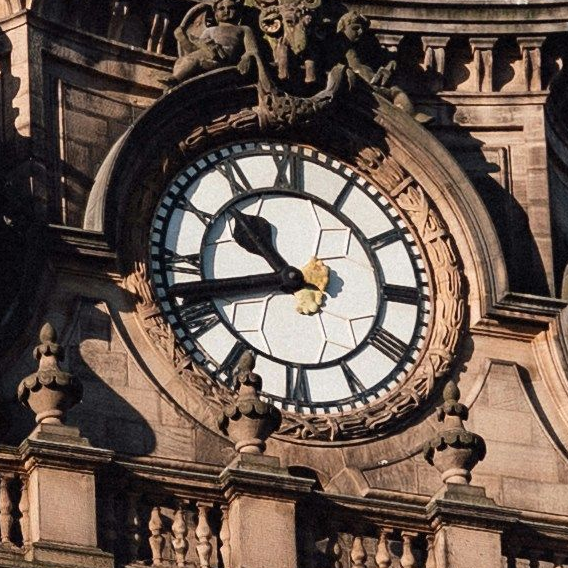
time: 10:42
